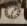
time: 1:32
